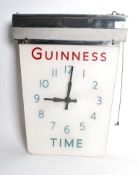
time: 9:01
